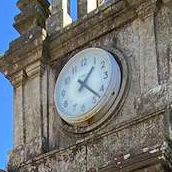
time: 1:22
